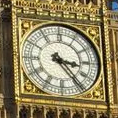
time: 3:23
